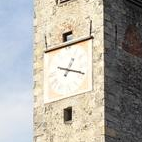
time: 1:18
